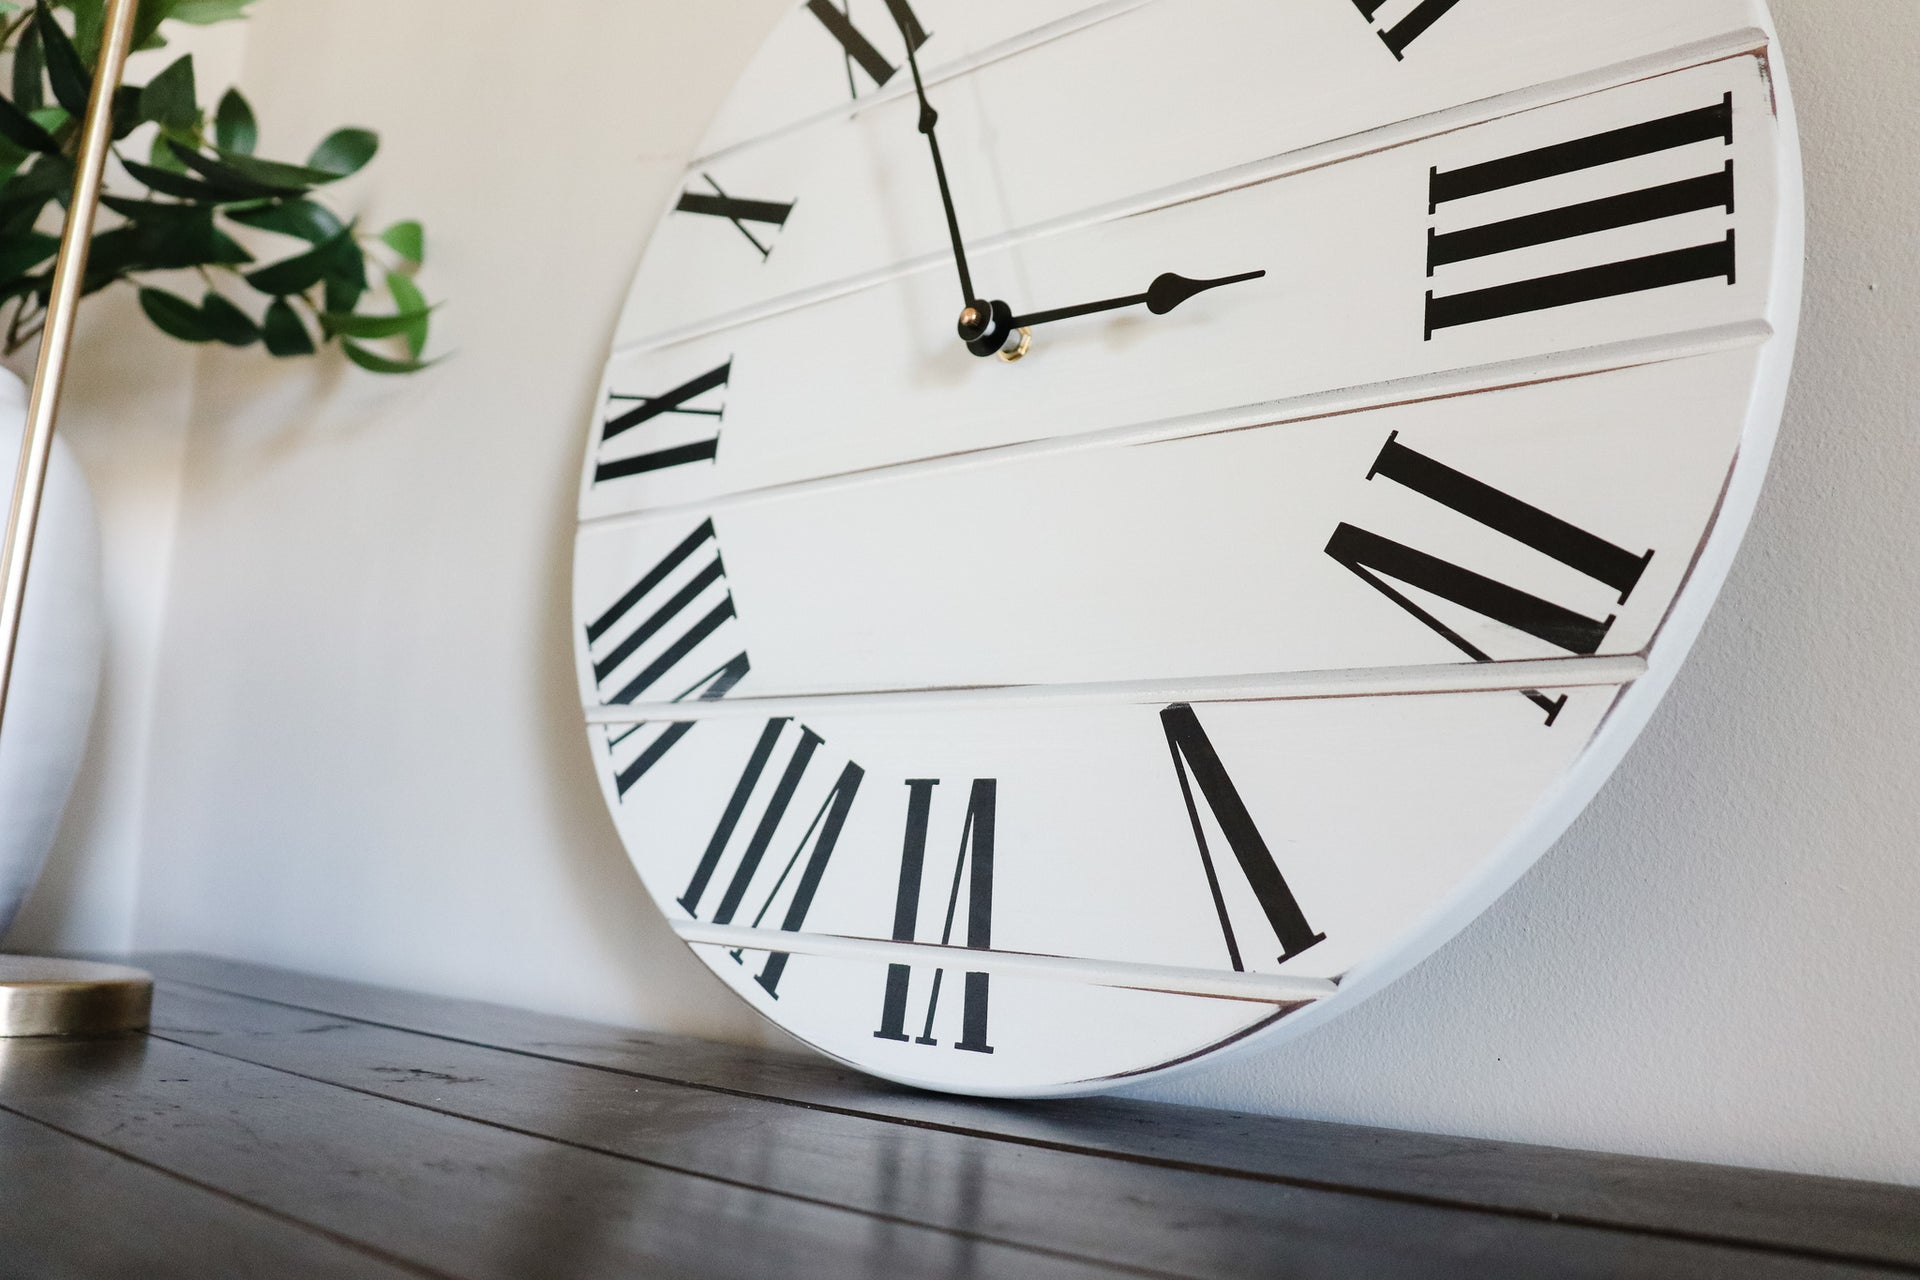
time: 2:56
